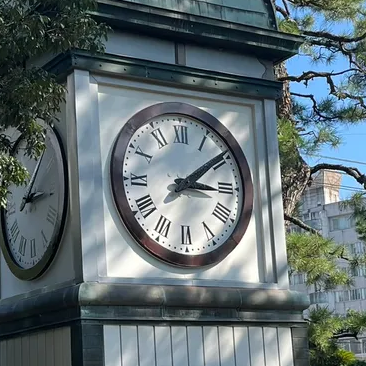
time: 3:09
